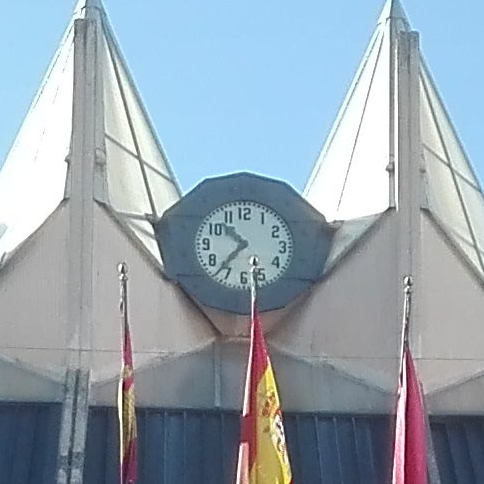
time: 10:36
